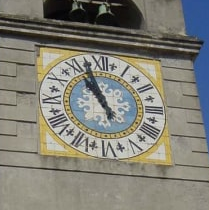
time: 10:56
